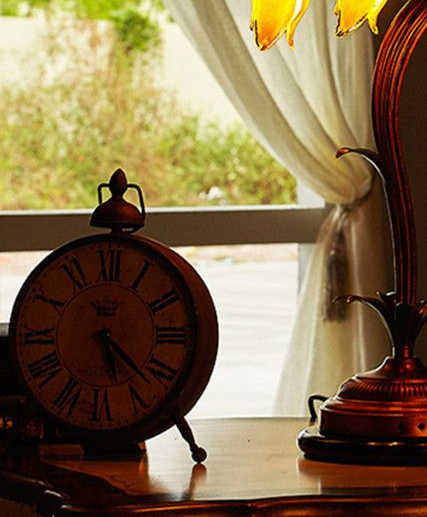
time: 5:22
